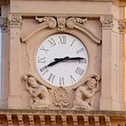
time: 8:14
